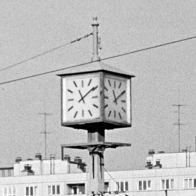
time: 11:08
